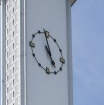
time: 4:58
